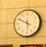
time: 5:49
